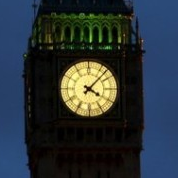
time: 4:07
